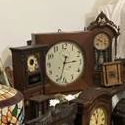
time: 2:33
